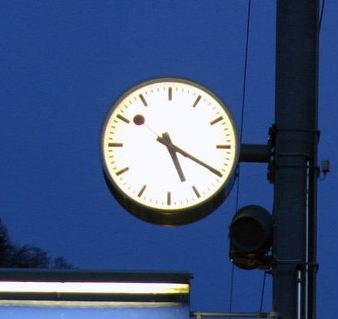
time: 5:19
